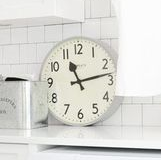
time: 11:13
